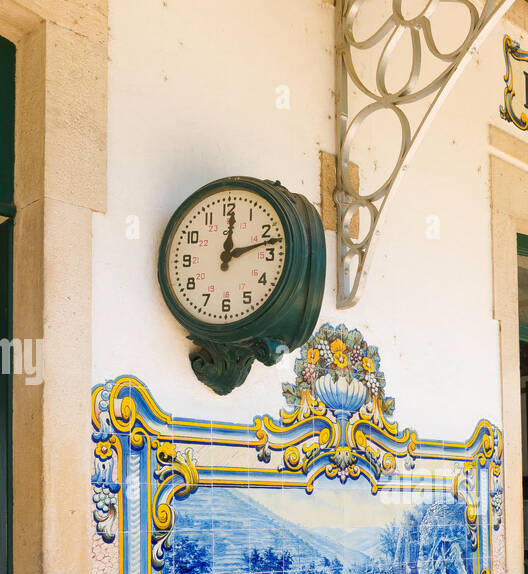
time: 12:12
